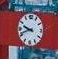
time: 9:41
